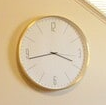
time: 3:42
